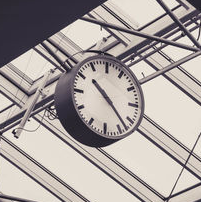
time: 10:22
